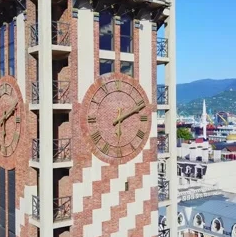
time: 2:11
